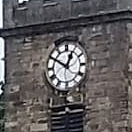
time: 12:50
